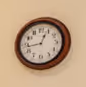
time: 12:43
